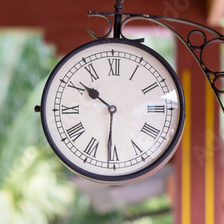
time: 10:30
